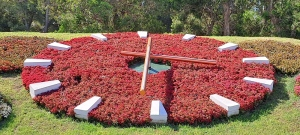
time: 6:00
